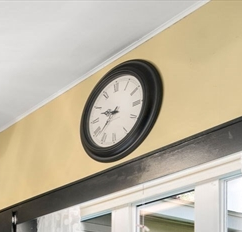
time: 9:38
